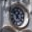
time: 12:52
